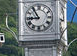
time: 8:54
